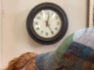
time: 12:24
